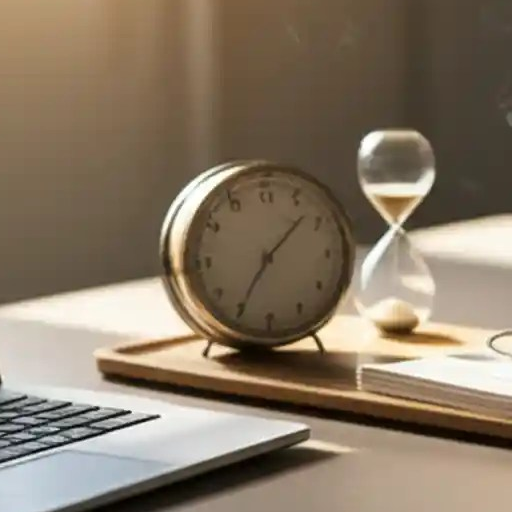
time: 1:35
